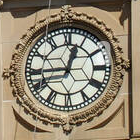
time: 12:44
